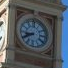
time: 8:40
